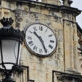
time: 10:26
